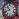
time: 10:41
